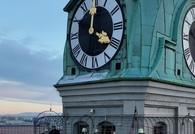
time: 4:00
